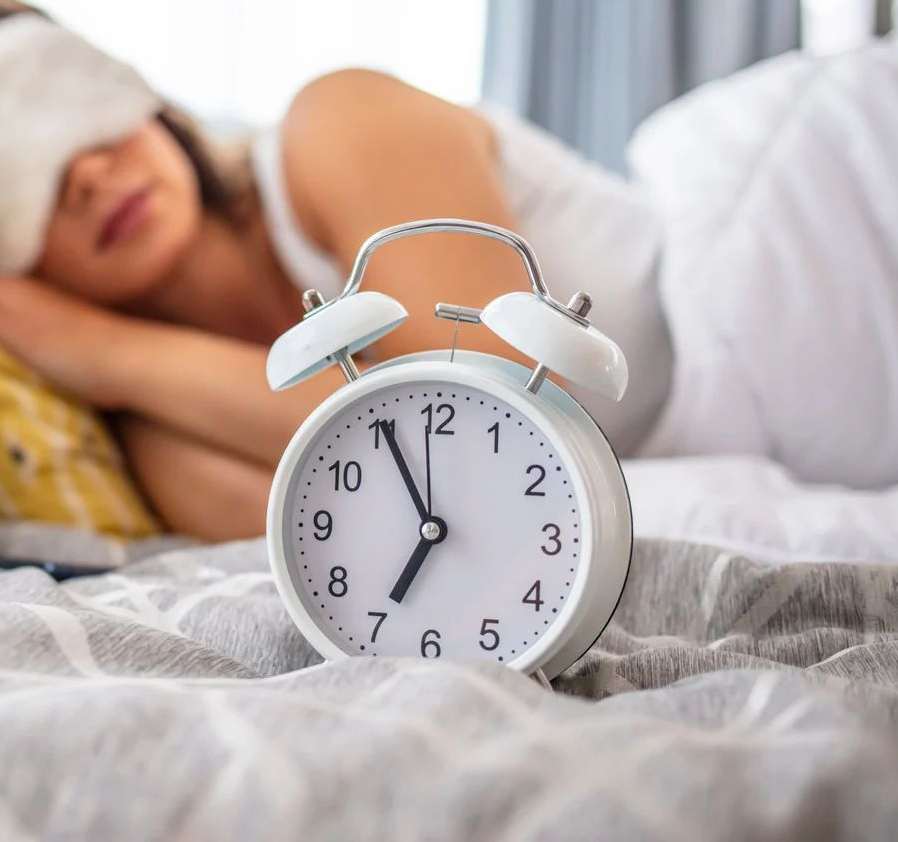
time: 6:55
